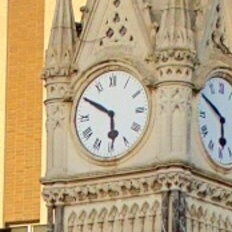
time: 5:49
